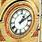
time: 1:10
